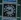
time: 9:41
